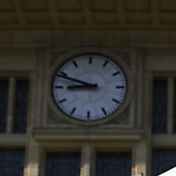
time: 8:48
